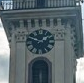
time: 1:47
